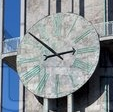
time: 2:49
